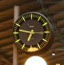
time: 6:46
